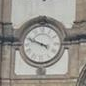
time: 3:48
